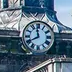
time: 7:58
